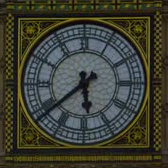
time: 5:38
